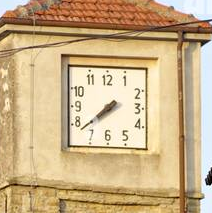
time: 7:38
